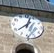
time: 1:02
